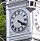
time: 4:20
